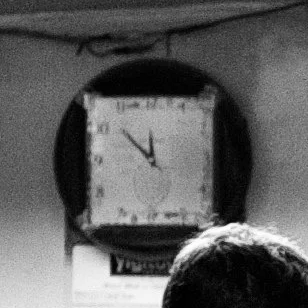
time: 11:51
